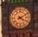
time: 4:10
